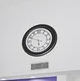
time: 5:48
